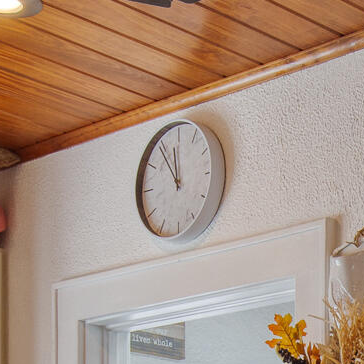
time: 11:54
